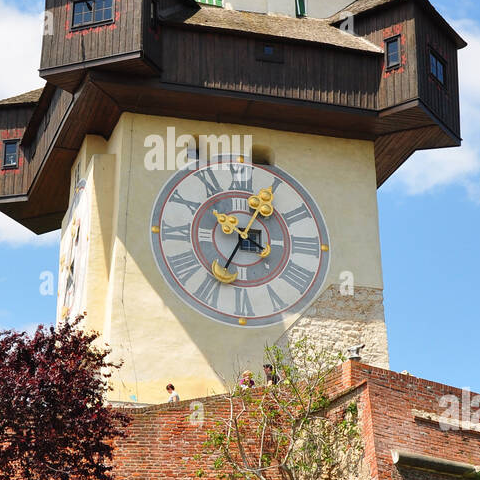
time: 3:34
